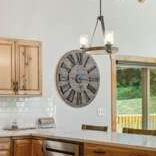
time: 5:15
